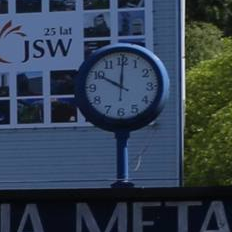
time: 10:00
